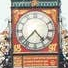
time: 4:37
